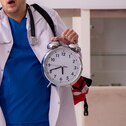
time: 5:41
